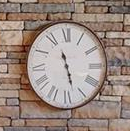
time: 11:27
